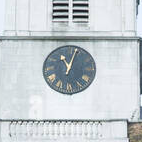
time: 11:03
